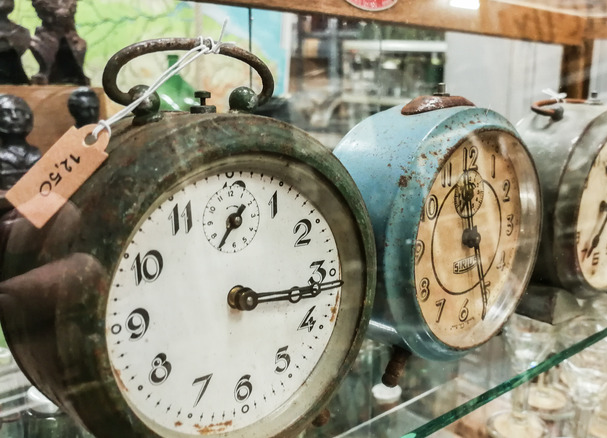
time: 3:16
